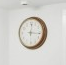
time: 12:16
